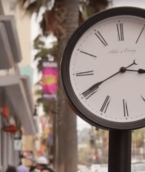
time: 2:40
